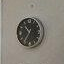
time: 10:35
